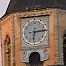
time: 6:14
